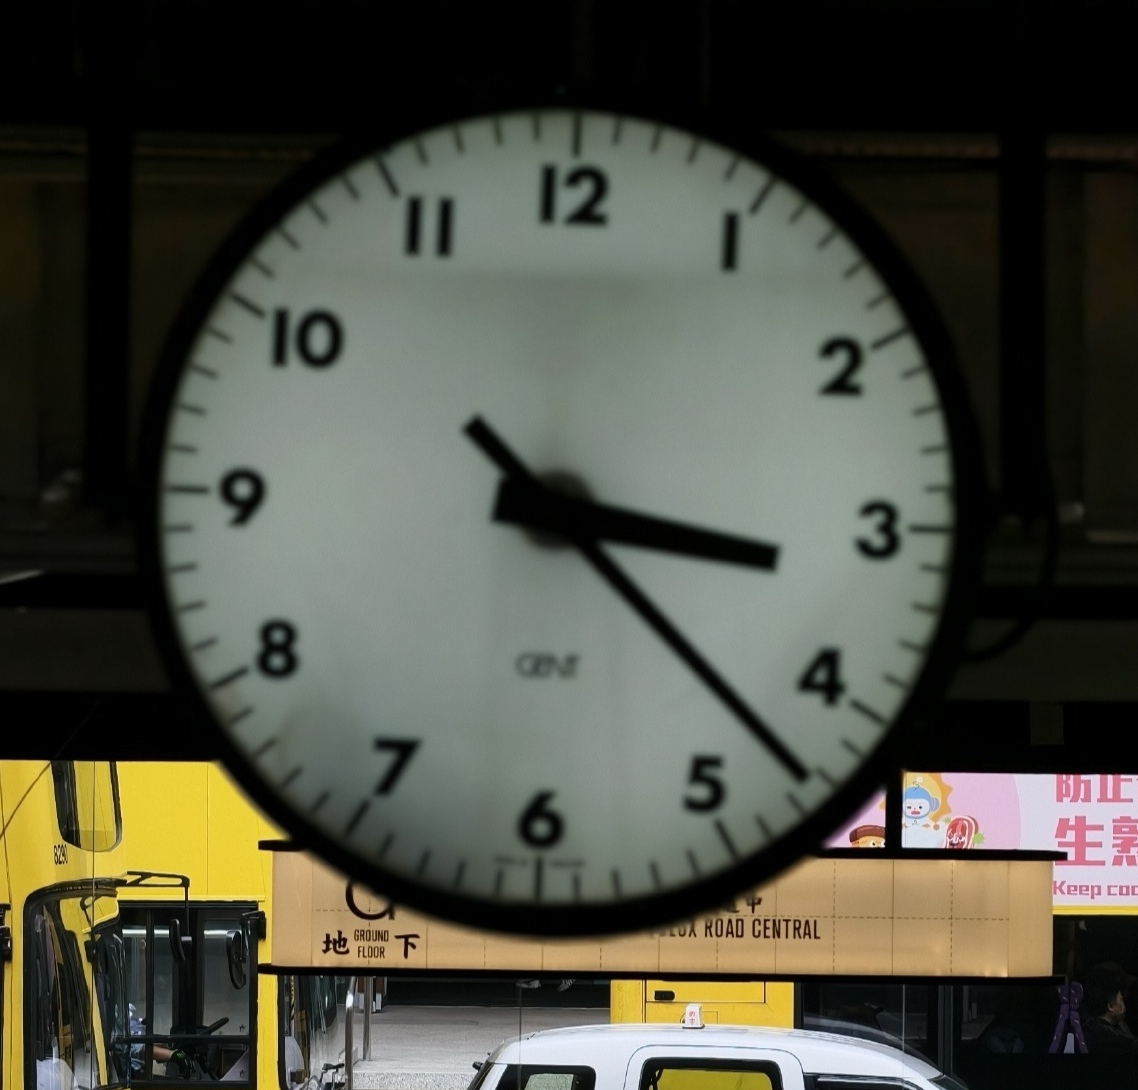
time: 3:22
